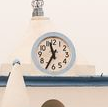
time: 11:34
